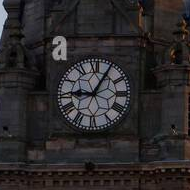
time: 9:05
